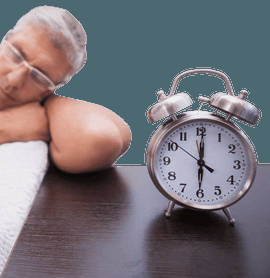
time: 6:00
